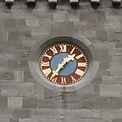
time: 1:36
